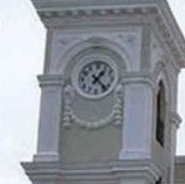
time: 1:22
